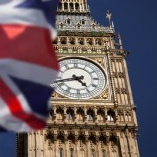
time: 4:42
